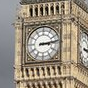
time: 3:13
